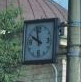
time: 9:57
